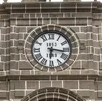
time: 6:16
